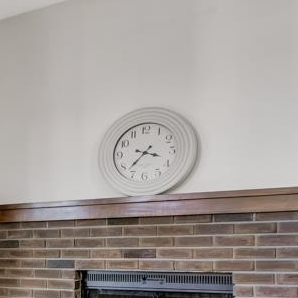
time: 3:37
